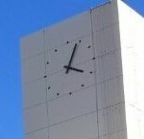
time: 4:04
